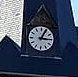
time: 3:04
